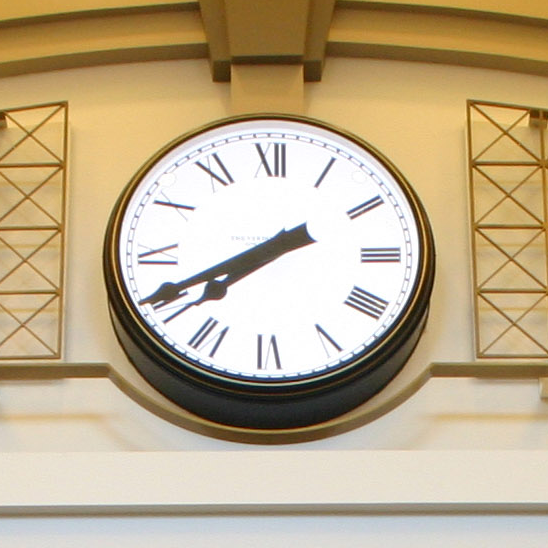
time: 7:40
